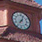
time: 7:03
